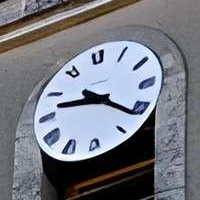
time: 9:21
